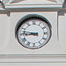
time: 8:47
